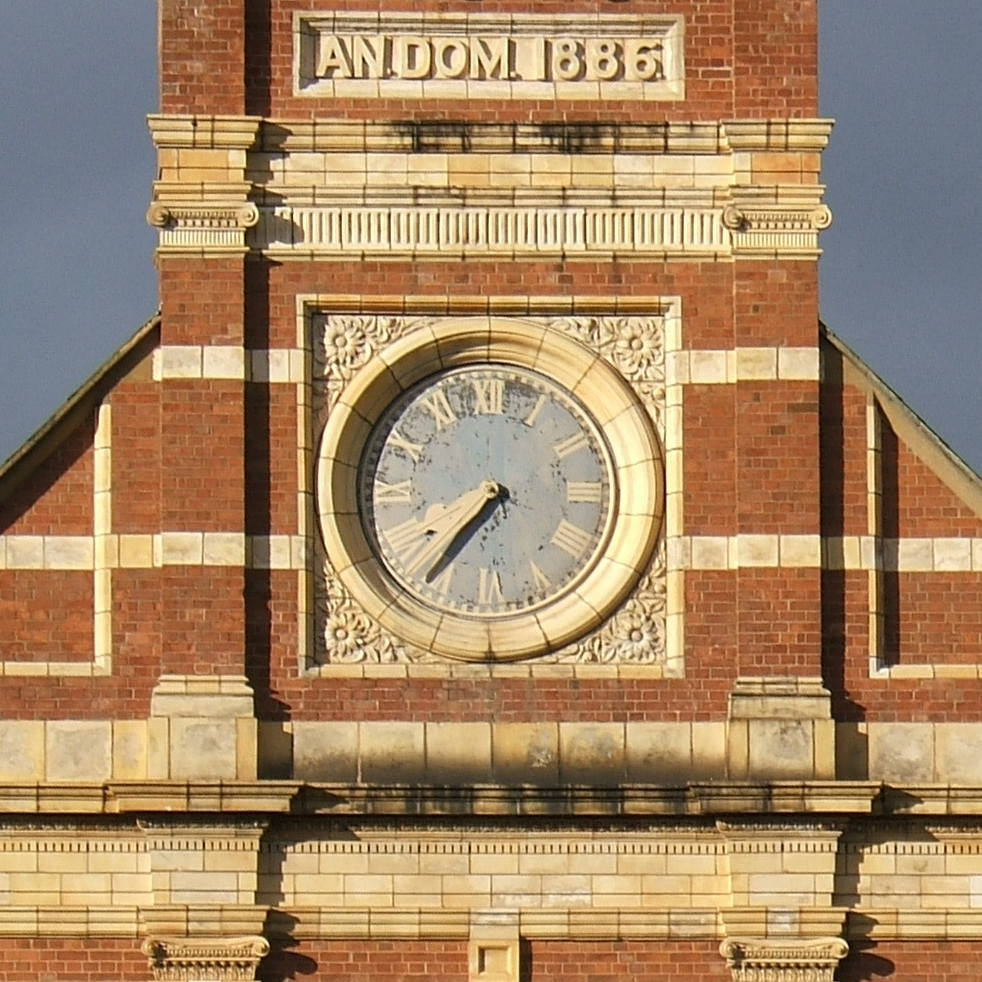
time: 7:36
